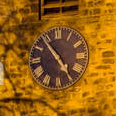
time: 4:53
